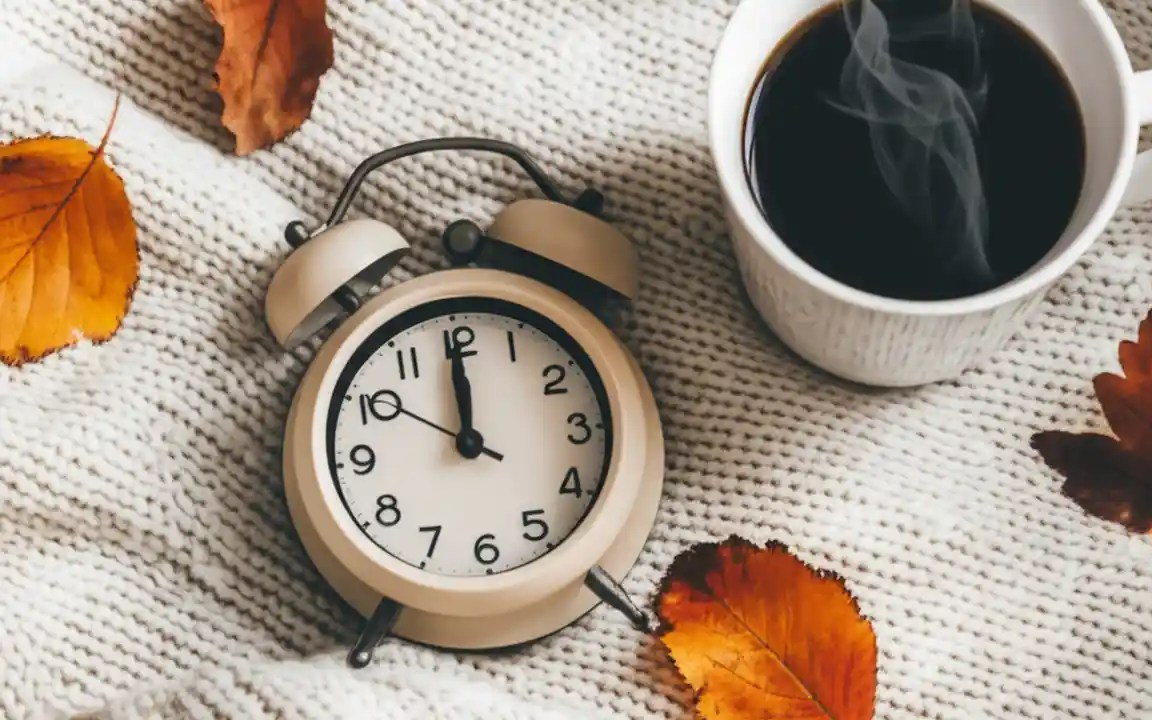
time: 11:59
